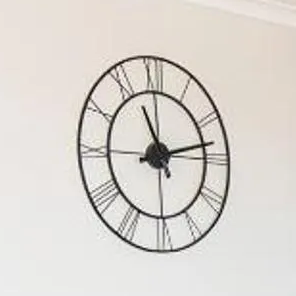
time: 11:12
